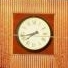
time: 7:42
